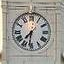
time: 7:31
